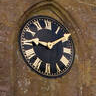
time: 9:09
